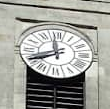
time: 11:40
